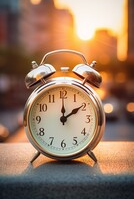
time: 2:00
